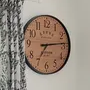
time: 7:13
